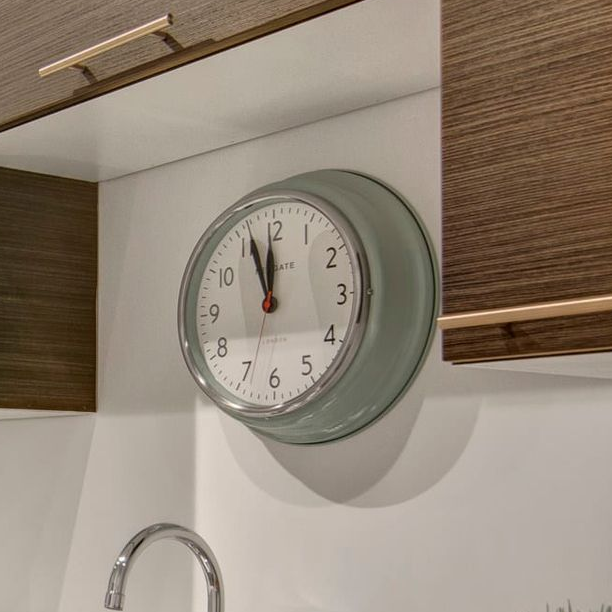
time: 11:56
